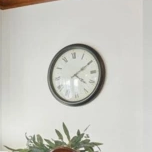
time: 4:10
